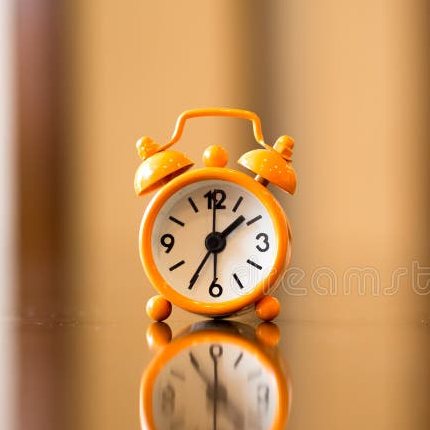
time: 1:35
